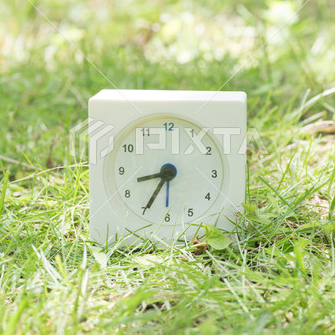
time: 8:34
